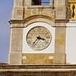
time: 3:36
